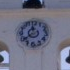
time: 11:38
